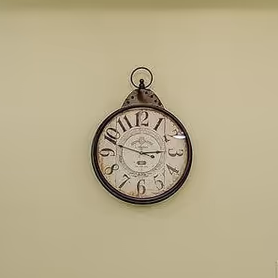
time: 2:48
